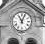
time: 11:03
